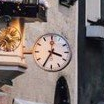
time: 3:35
